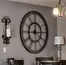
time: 12:14
